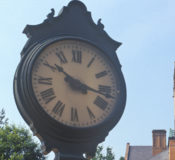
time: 10:17
